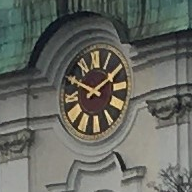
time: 1:49
